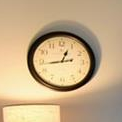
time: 12:43
